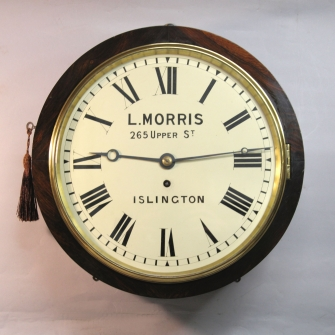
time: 9:13
